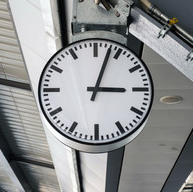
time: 3:03
